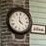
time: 3:58
